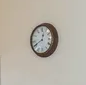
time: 12:40
